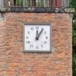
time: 12:05
